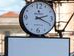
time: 2:19
